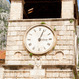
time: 3:03
